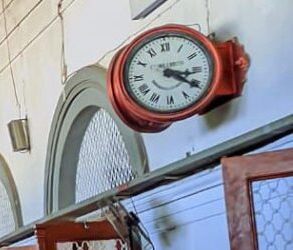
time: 3:20
